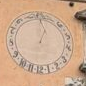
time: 1:02
